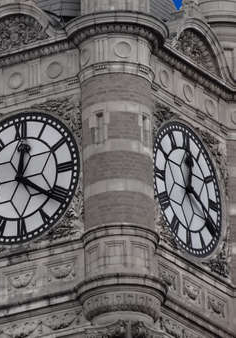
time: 12:19
